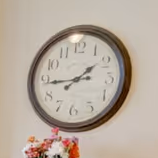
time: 1:43
